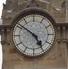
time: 4:51
